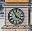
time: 3:55
